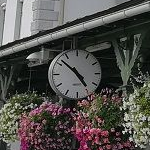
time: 4:52
